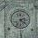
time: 2:21
